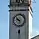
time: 9:52
